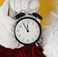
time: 11:54
